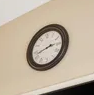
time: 2:42
